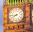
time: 7:44
